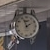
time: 1:56
